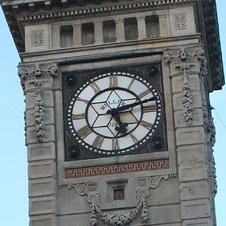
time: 5:12
